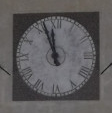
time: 11:56
